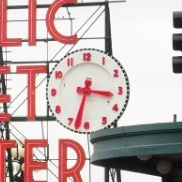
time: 3:32
